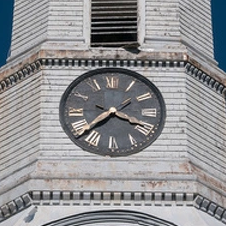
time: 3:38
